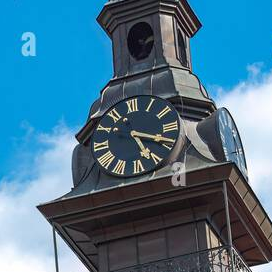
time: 5:18
